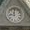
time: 11:46
